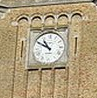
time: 10:50
